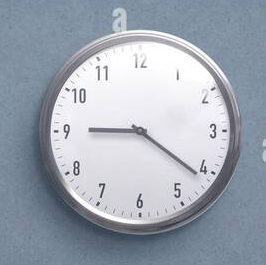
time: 9:21
